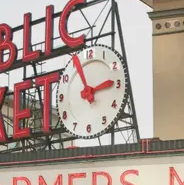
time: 2:56
